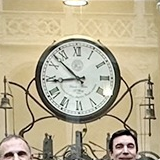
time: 8:52
